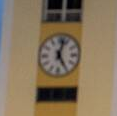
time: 5:02
